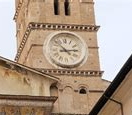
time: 2:52
